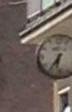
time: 6:36
